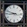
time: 8:48
